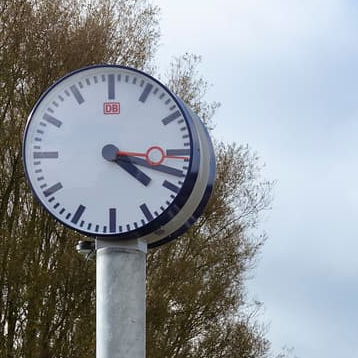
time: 4:17
